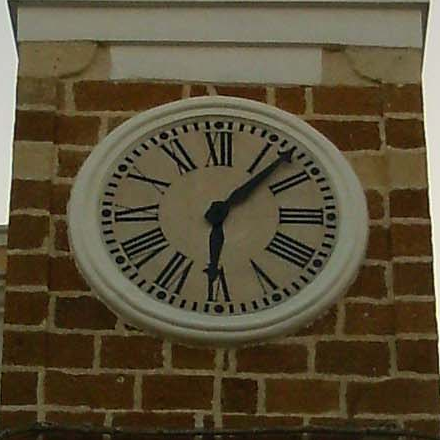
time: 6:07
